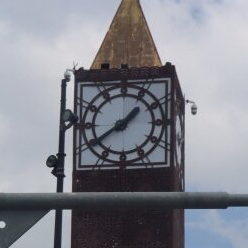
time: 1:39
